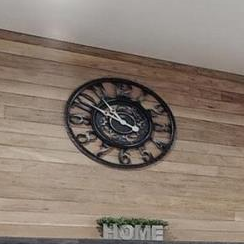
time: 10:49
